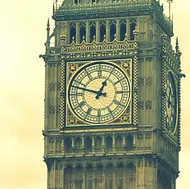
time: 12:48
